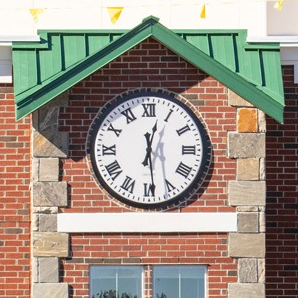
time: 12:28
